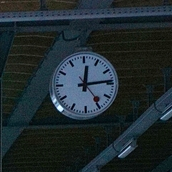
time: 12:14
